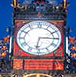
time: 6:15
